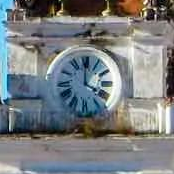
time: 4:00
